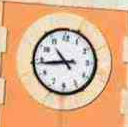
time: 10:44
